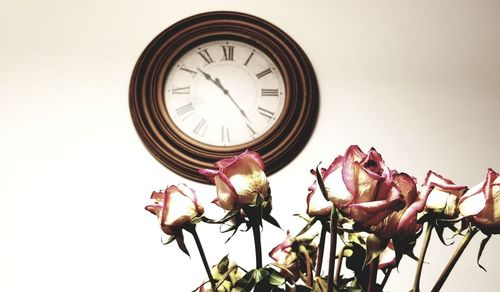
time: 10:23
